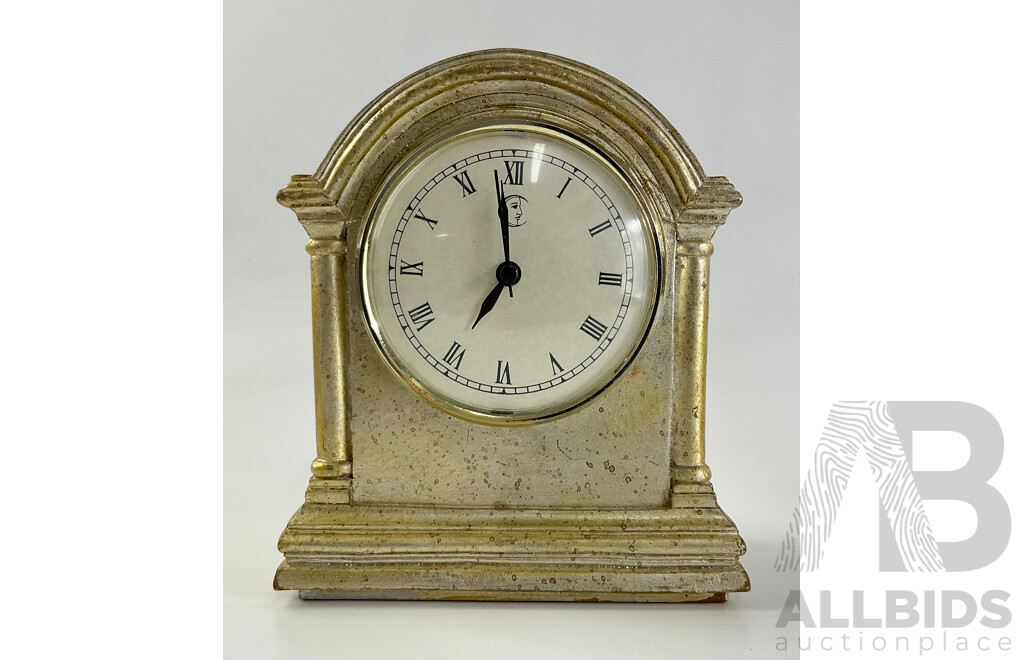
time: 6:58
